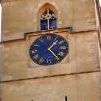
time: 1:23
